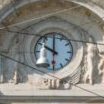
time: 10:00
